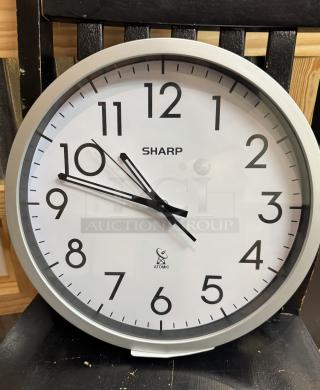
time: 10:47
